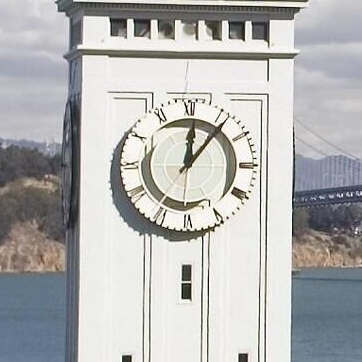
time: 12:06
